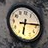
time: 6:13
